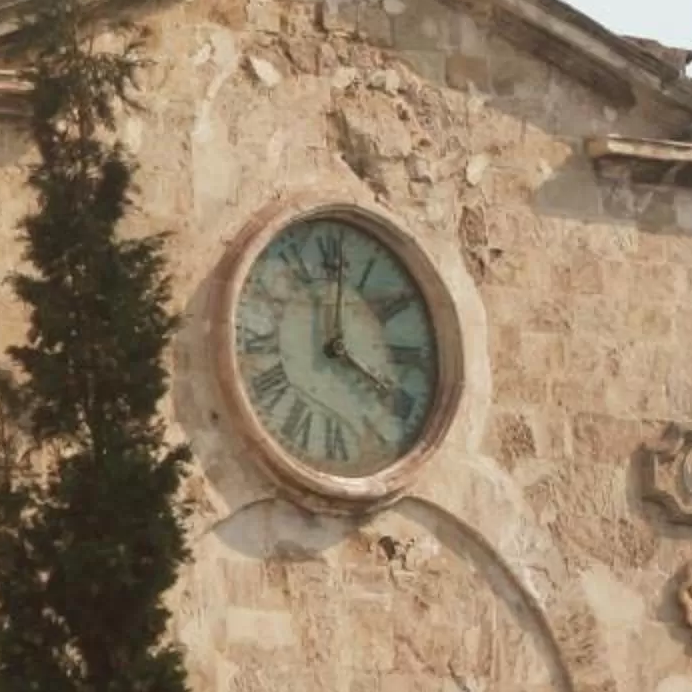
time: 4:01
